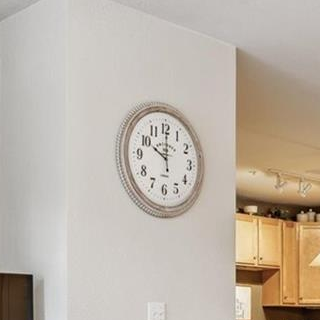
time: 10:00
